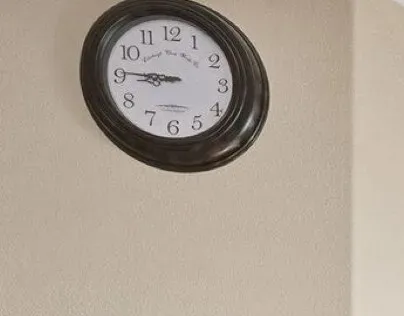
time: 8:45
